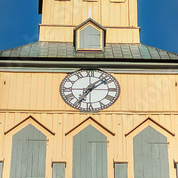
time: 7:07
